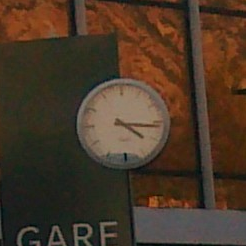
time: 4:16
